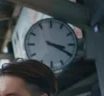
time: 3:19
